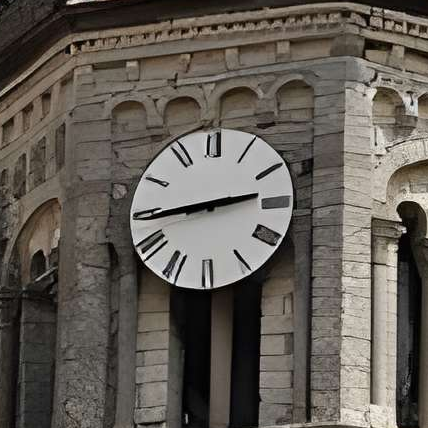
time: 2:43
